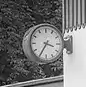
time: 3:35
